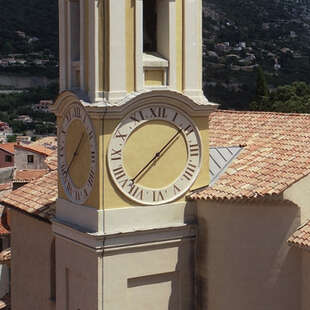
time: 1:37
